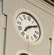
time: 7:09
